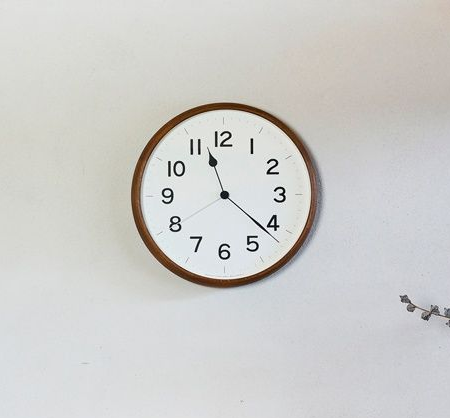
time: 11:21
